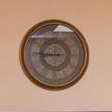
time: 8:45
